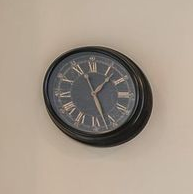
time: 1:27
